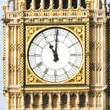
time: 11:00
